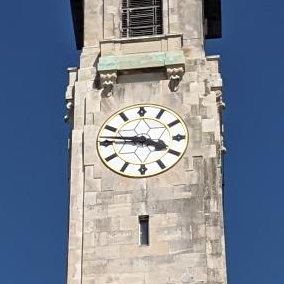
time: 3:46
